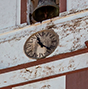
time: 11:21
